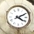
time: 4:10
